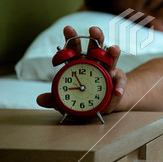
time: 8:55
